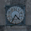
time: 4:35
